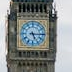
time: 5:15
